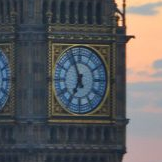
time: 6:56
